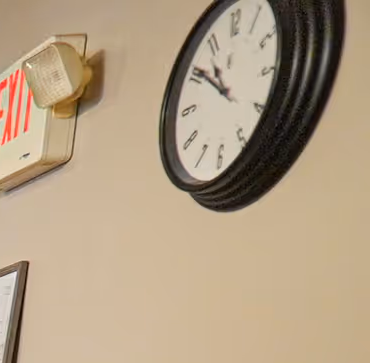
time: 10:50
